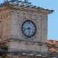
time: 5:42
